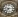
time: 7:15
